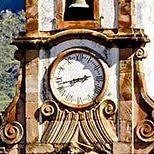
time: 2:42
